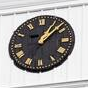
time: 1:07
